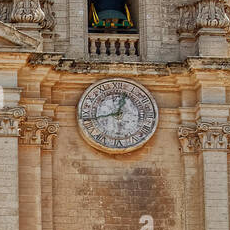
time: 12:42
